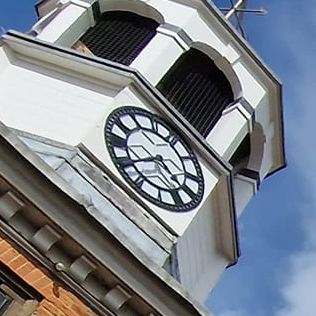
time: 4:40
